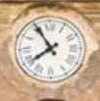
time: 7:54
